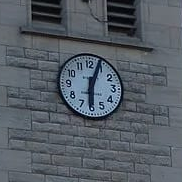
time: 6:03
